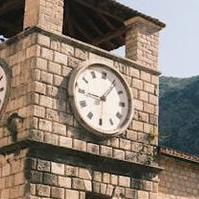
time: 9:06
